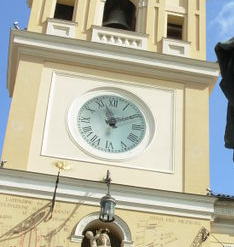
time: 11:10
